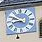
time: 8:49
